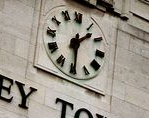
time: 1:29
